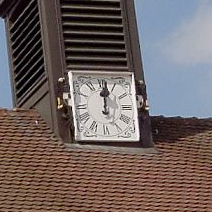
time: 12:01
